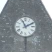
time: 11:10
